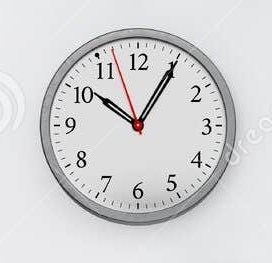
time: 10:05
